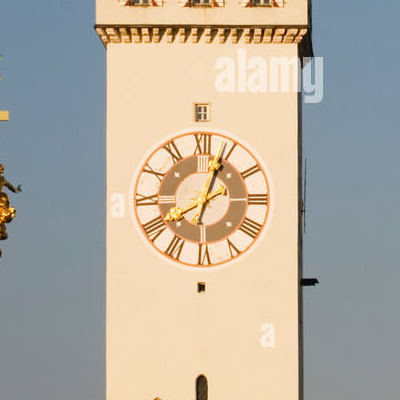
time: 1:03
